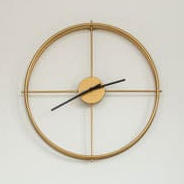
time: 2:40
